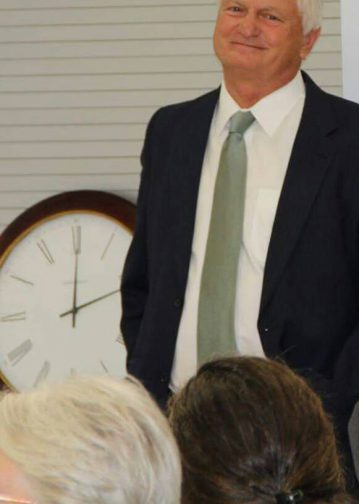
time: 12:00
